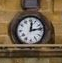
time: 12:13
